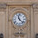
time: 11:22
